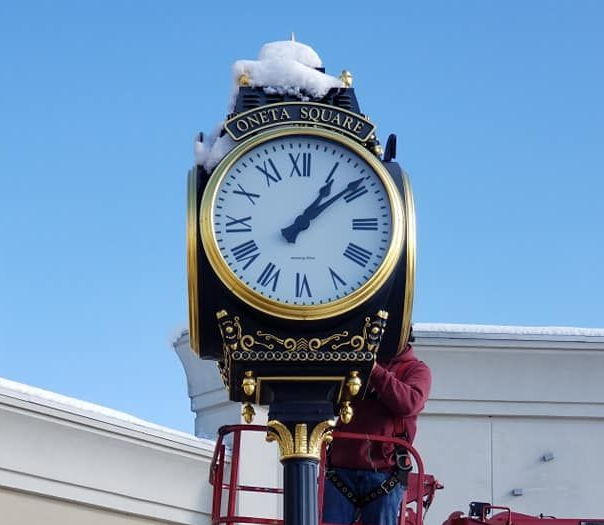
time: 1:08
